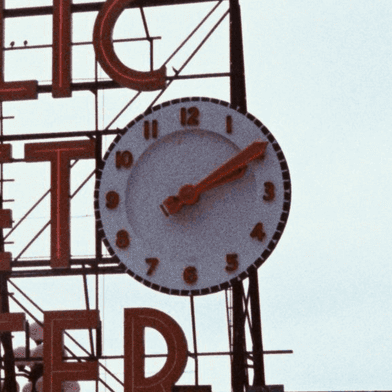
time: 2:09
